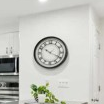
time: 10:19
